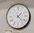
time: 1:22
